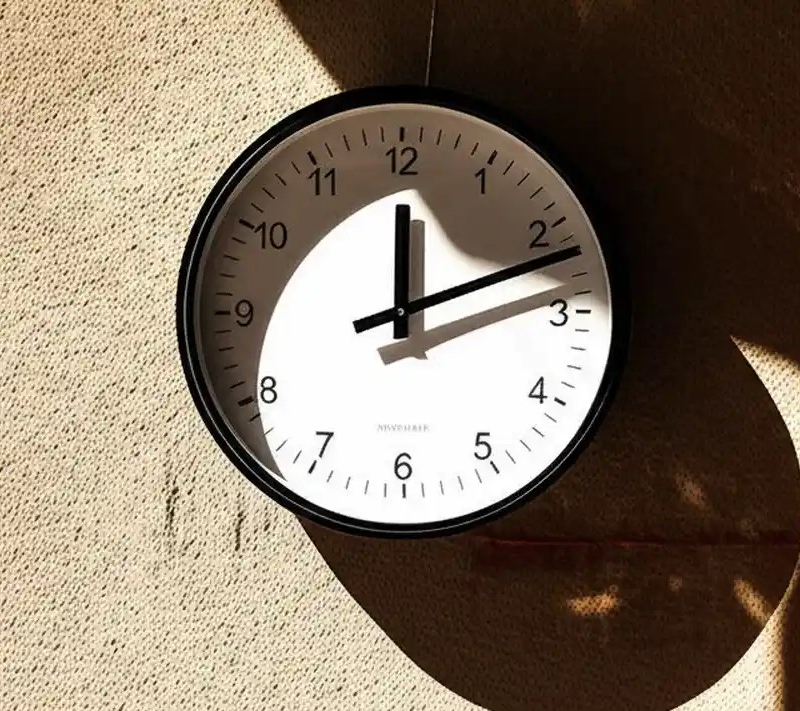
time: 12:11
